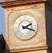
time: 2:18
